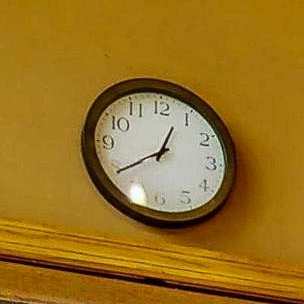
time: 12:39
